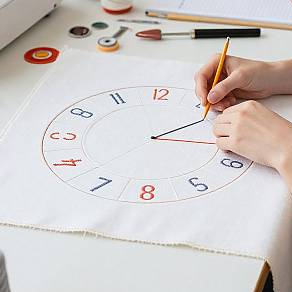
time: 2:18
